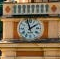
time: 1:57
